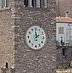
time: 1:59
